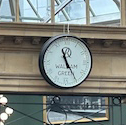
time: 11:25
